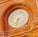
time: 6:32
